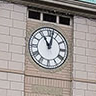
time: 11:02
